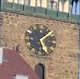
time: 1:26
